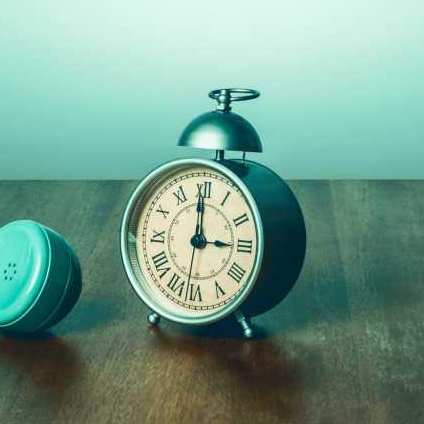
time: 2:59
